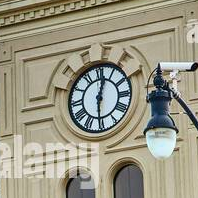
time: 12:30
